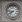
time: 7:46
